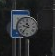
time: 9:36
